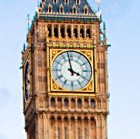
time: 3:58
